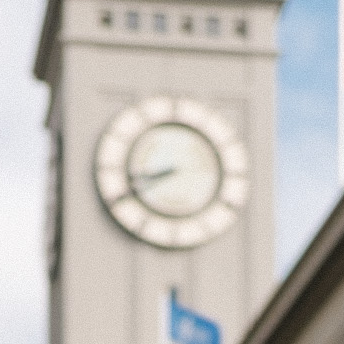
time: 8:40
